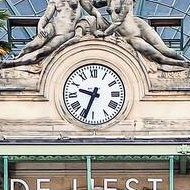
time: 9:33
